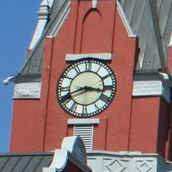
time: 8:16
